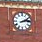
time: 2:13
